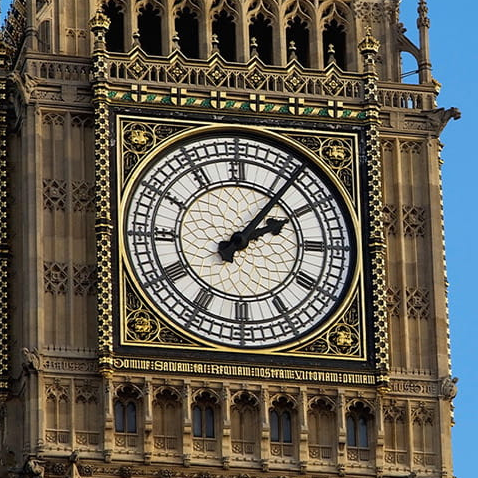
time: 2:06
